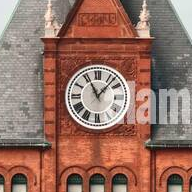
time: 11:07
